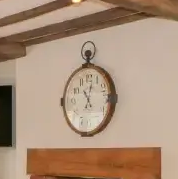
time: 11:02
